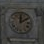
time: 12:09
